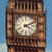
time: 4:10
